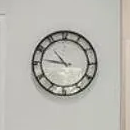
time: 10:46
